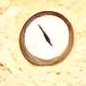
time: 4:54
